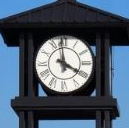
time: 3:58
